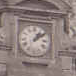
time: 1:09
